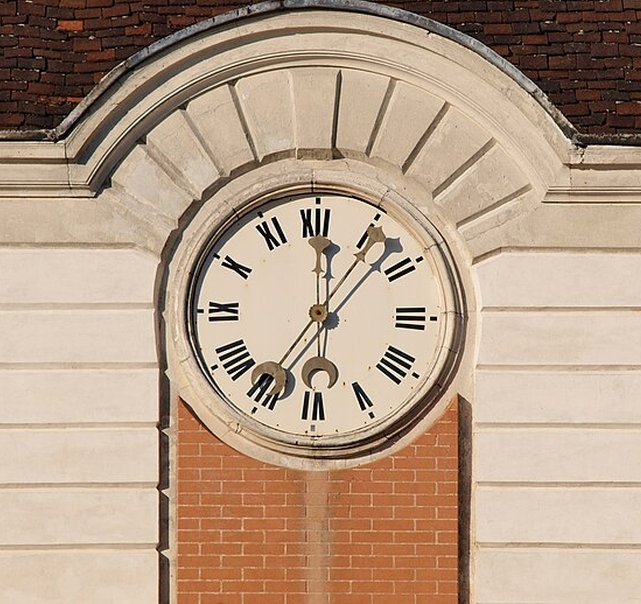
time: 12:07
